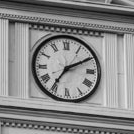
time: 7:10
